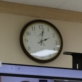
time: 2:01
